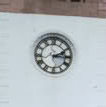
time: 2:15
